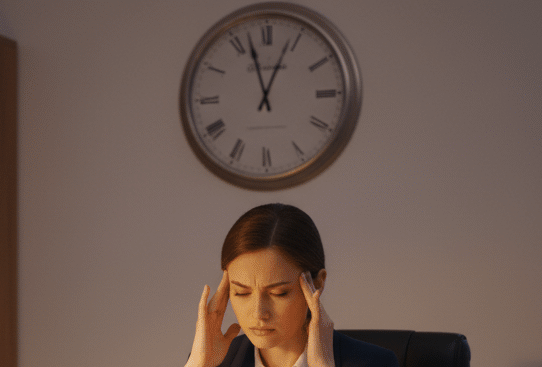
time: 12:57
